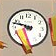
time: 9:47
